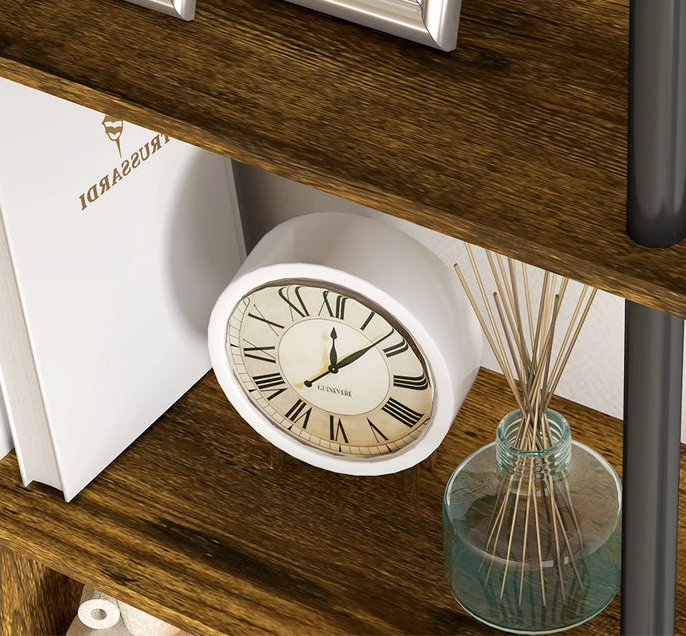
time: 12:07
